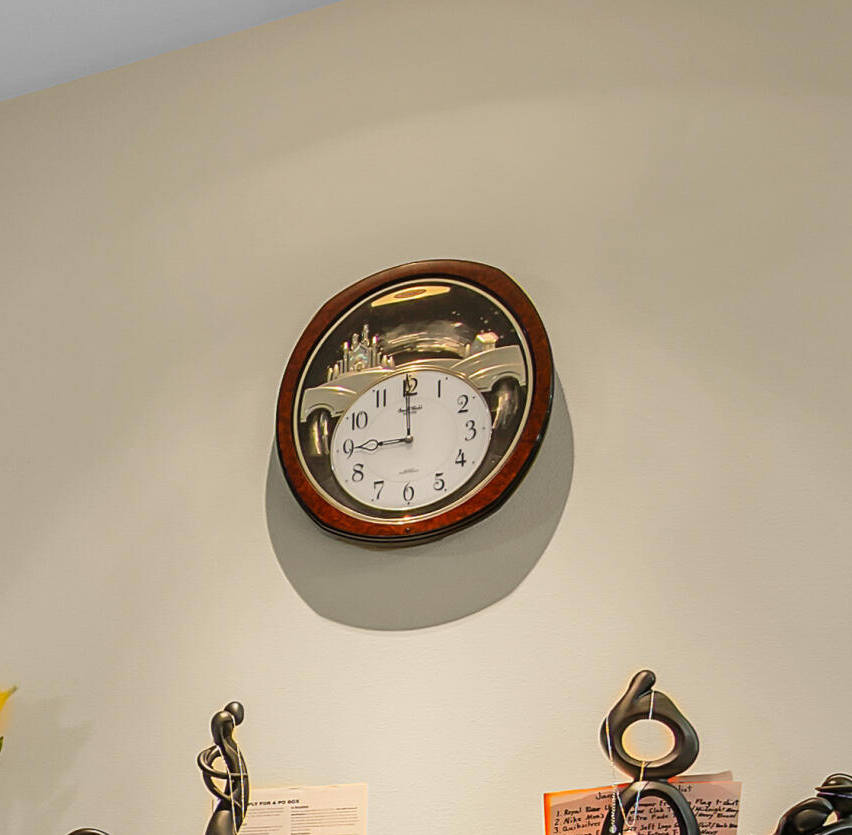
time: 8:59
